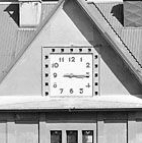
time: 3:15
